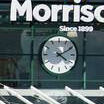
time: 4:10
